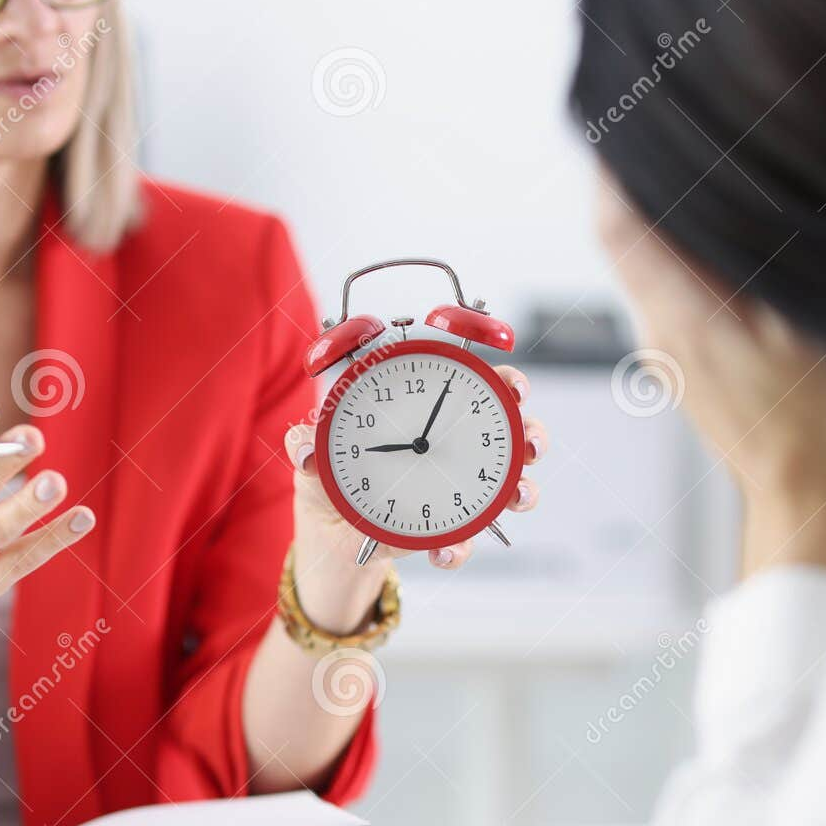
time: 9:05
